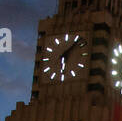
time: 6:07
